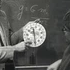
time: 11:29
